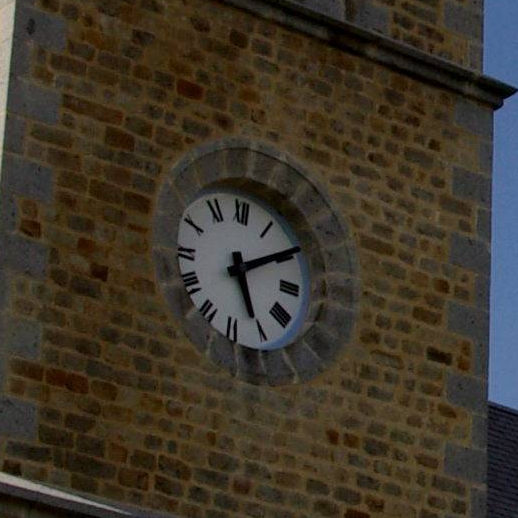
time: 5:09
